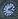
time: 2:18
